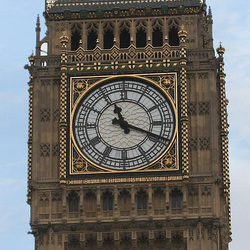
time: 11:18
